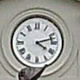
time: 4:12
